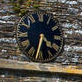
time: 4:33
